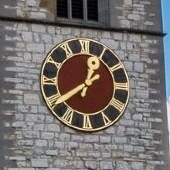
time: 12:39
